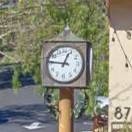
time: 12:46
